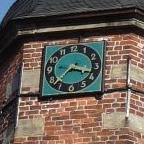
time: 3:37
